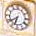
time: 6:39
